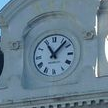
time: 11:07
